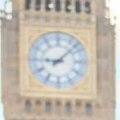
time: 9:07
